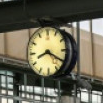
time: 8:20
